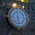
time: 4:59
